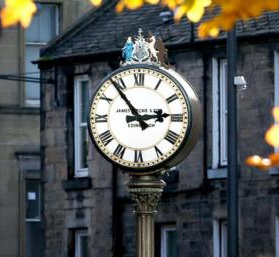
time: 2:53
